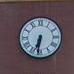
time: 6:31
